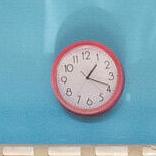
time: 1:18
